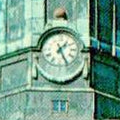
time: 1:25
